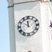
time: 11:51
